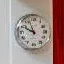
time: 9:56
